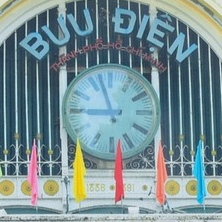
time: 8:57
